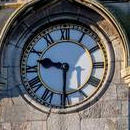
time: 9:30
